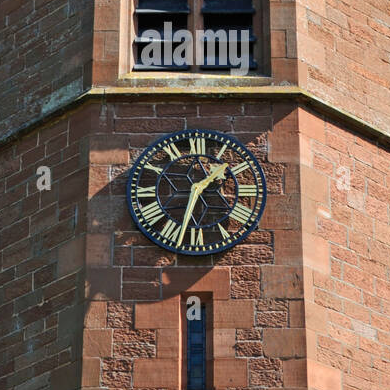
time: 1:32
